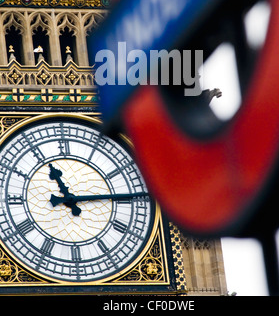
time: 11:14
